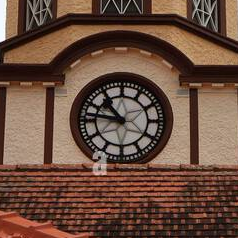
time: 10:46
